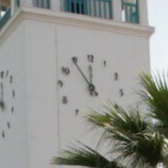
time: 11:54
